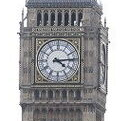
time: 4:14
